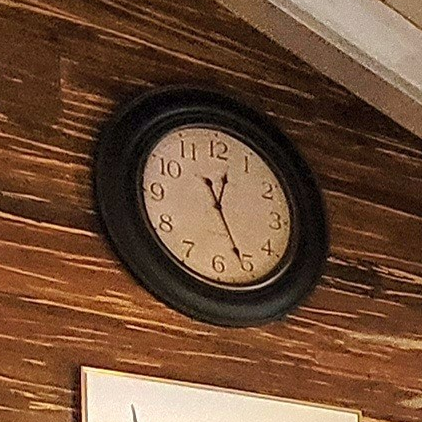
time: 12:26
